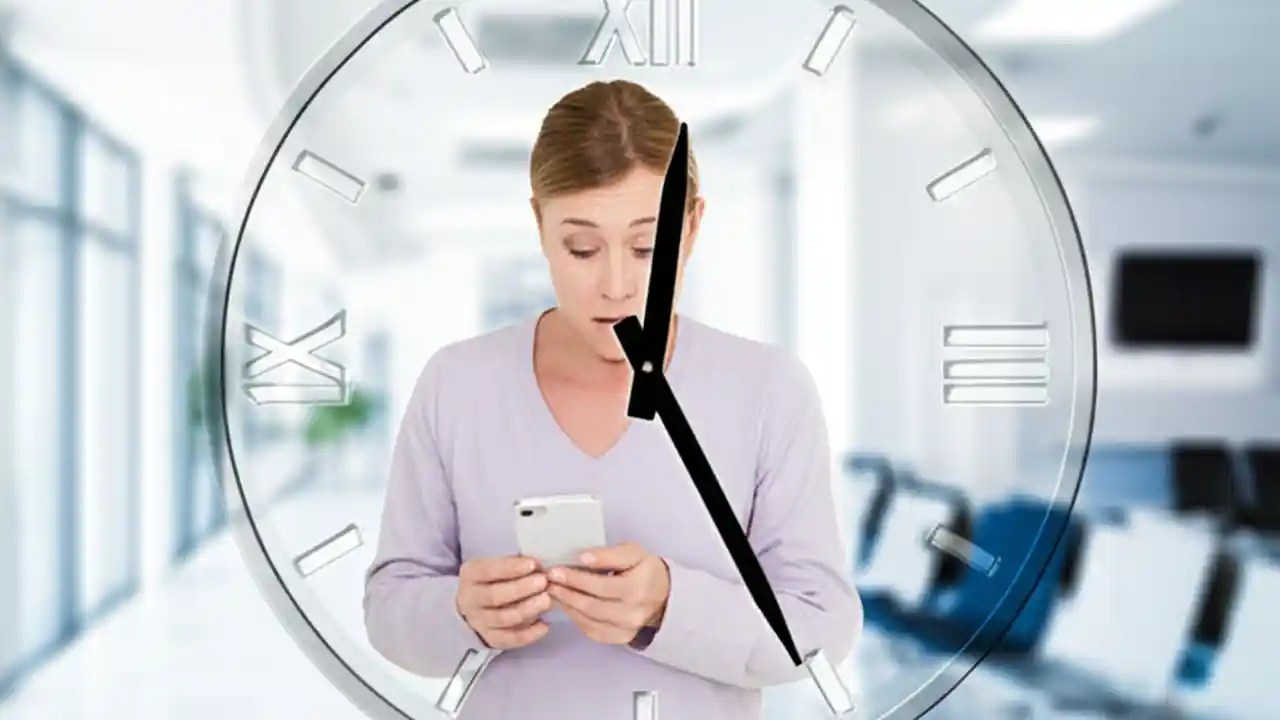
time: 12:24
